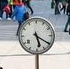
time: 5:20
